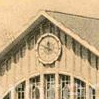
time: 11:48
